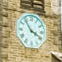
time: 3:54
